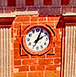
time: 2:04
